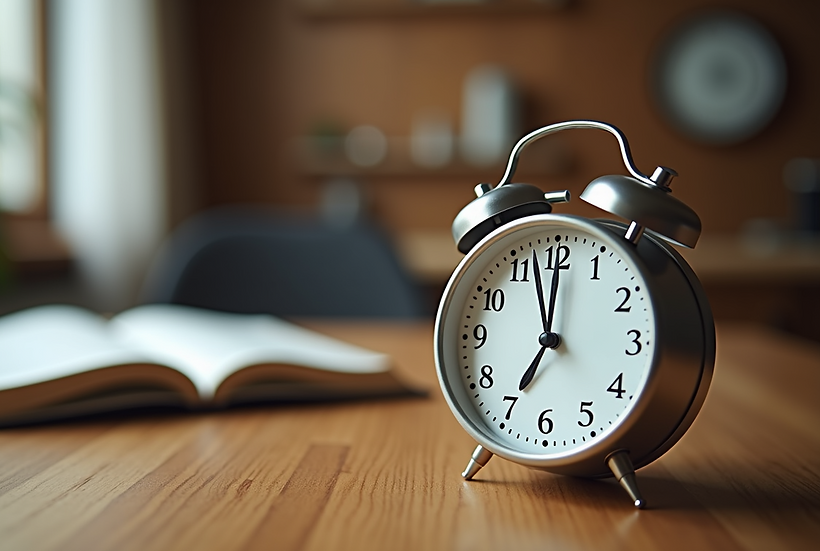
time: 6:57
